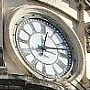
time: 12:12
